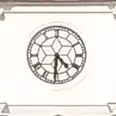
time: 4:31
